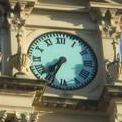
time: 7:34
